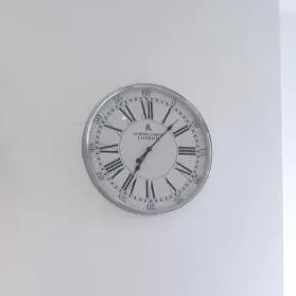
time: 7:07
